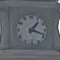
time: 1:18
